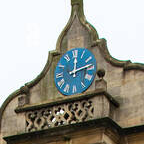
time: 12:13
